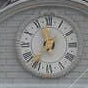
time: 11:36
